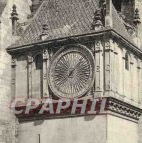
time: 8:07
